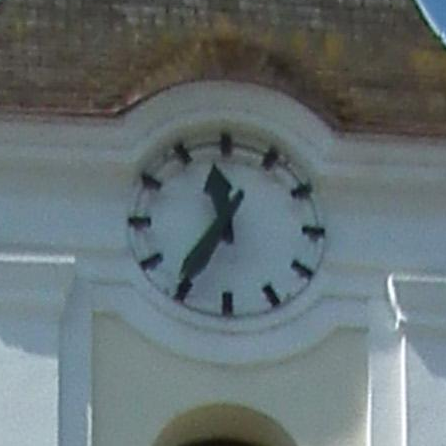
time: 11:35
